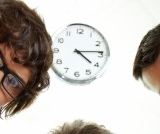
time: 4:13
